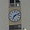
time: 7:11
